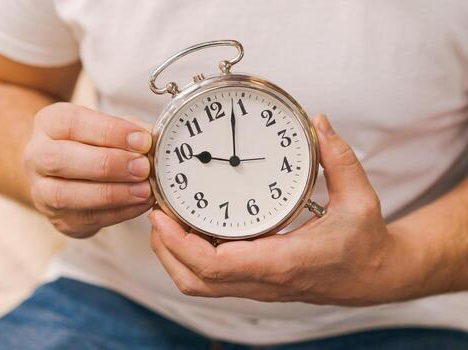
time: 10:03
